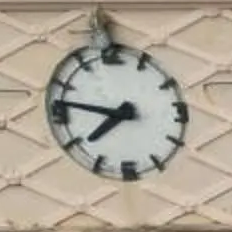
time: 7:46
